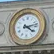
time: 4:12
